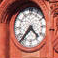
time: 4:37
